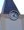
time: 4:04
